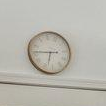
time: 6:45
